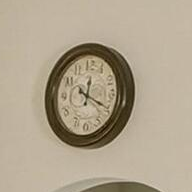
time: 12:19
